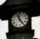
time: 11:24
